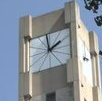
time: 1:59
